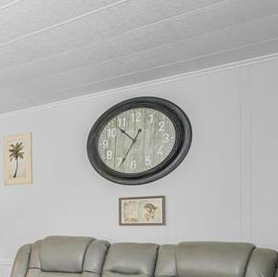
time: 10:34
